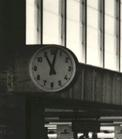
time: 11:02
